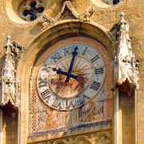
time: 10:02
